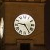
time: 9:24
